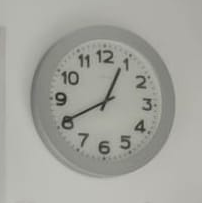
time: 12:40
